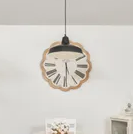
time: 5:30
